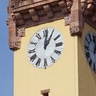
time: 1:01
